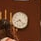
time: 8:22
